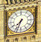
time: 7:33
